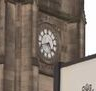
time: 4:42
